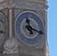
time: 11:17
